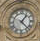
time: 1:22
